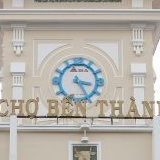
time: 3:24
